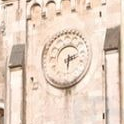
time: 2:29
